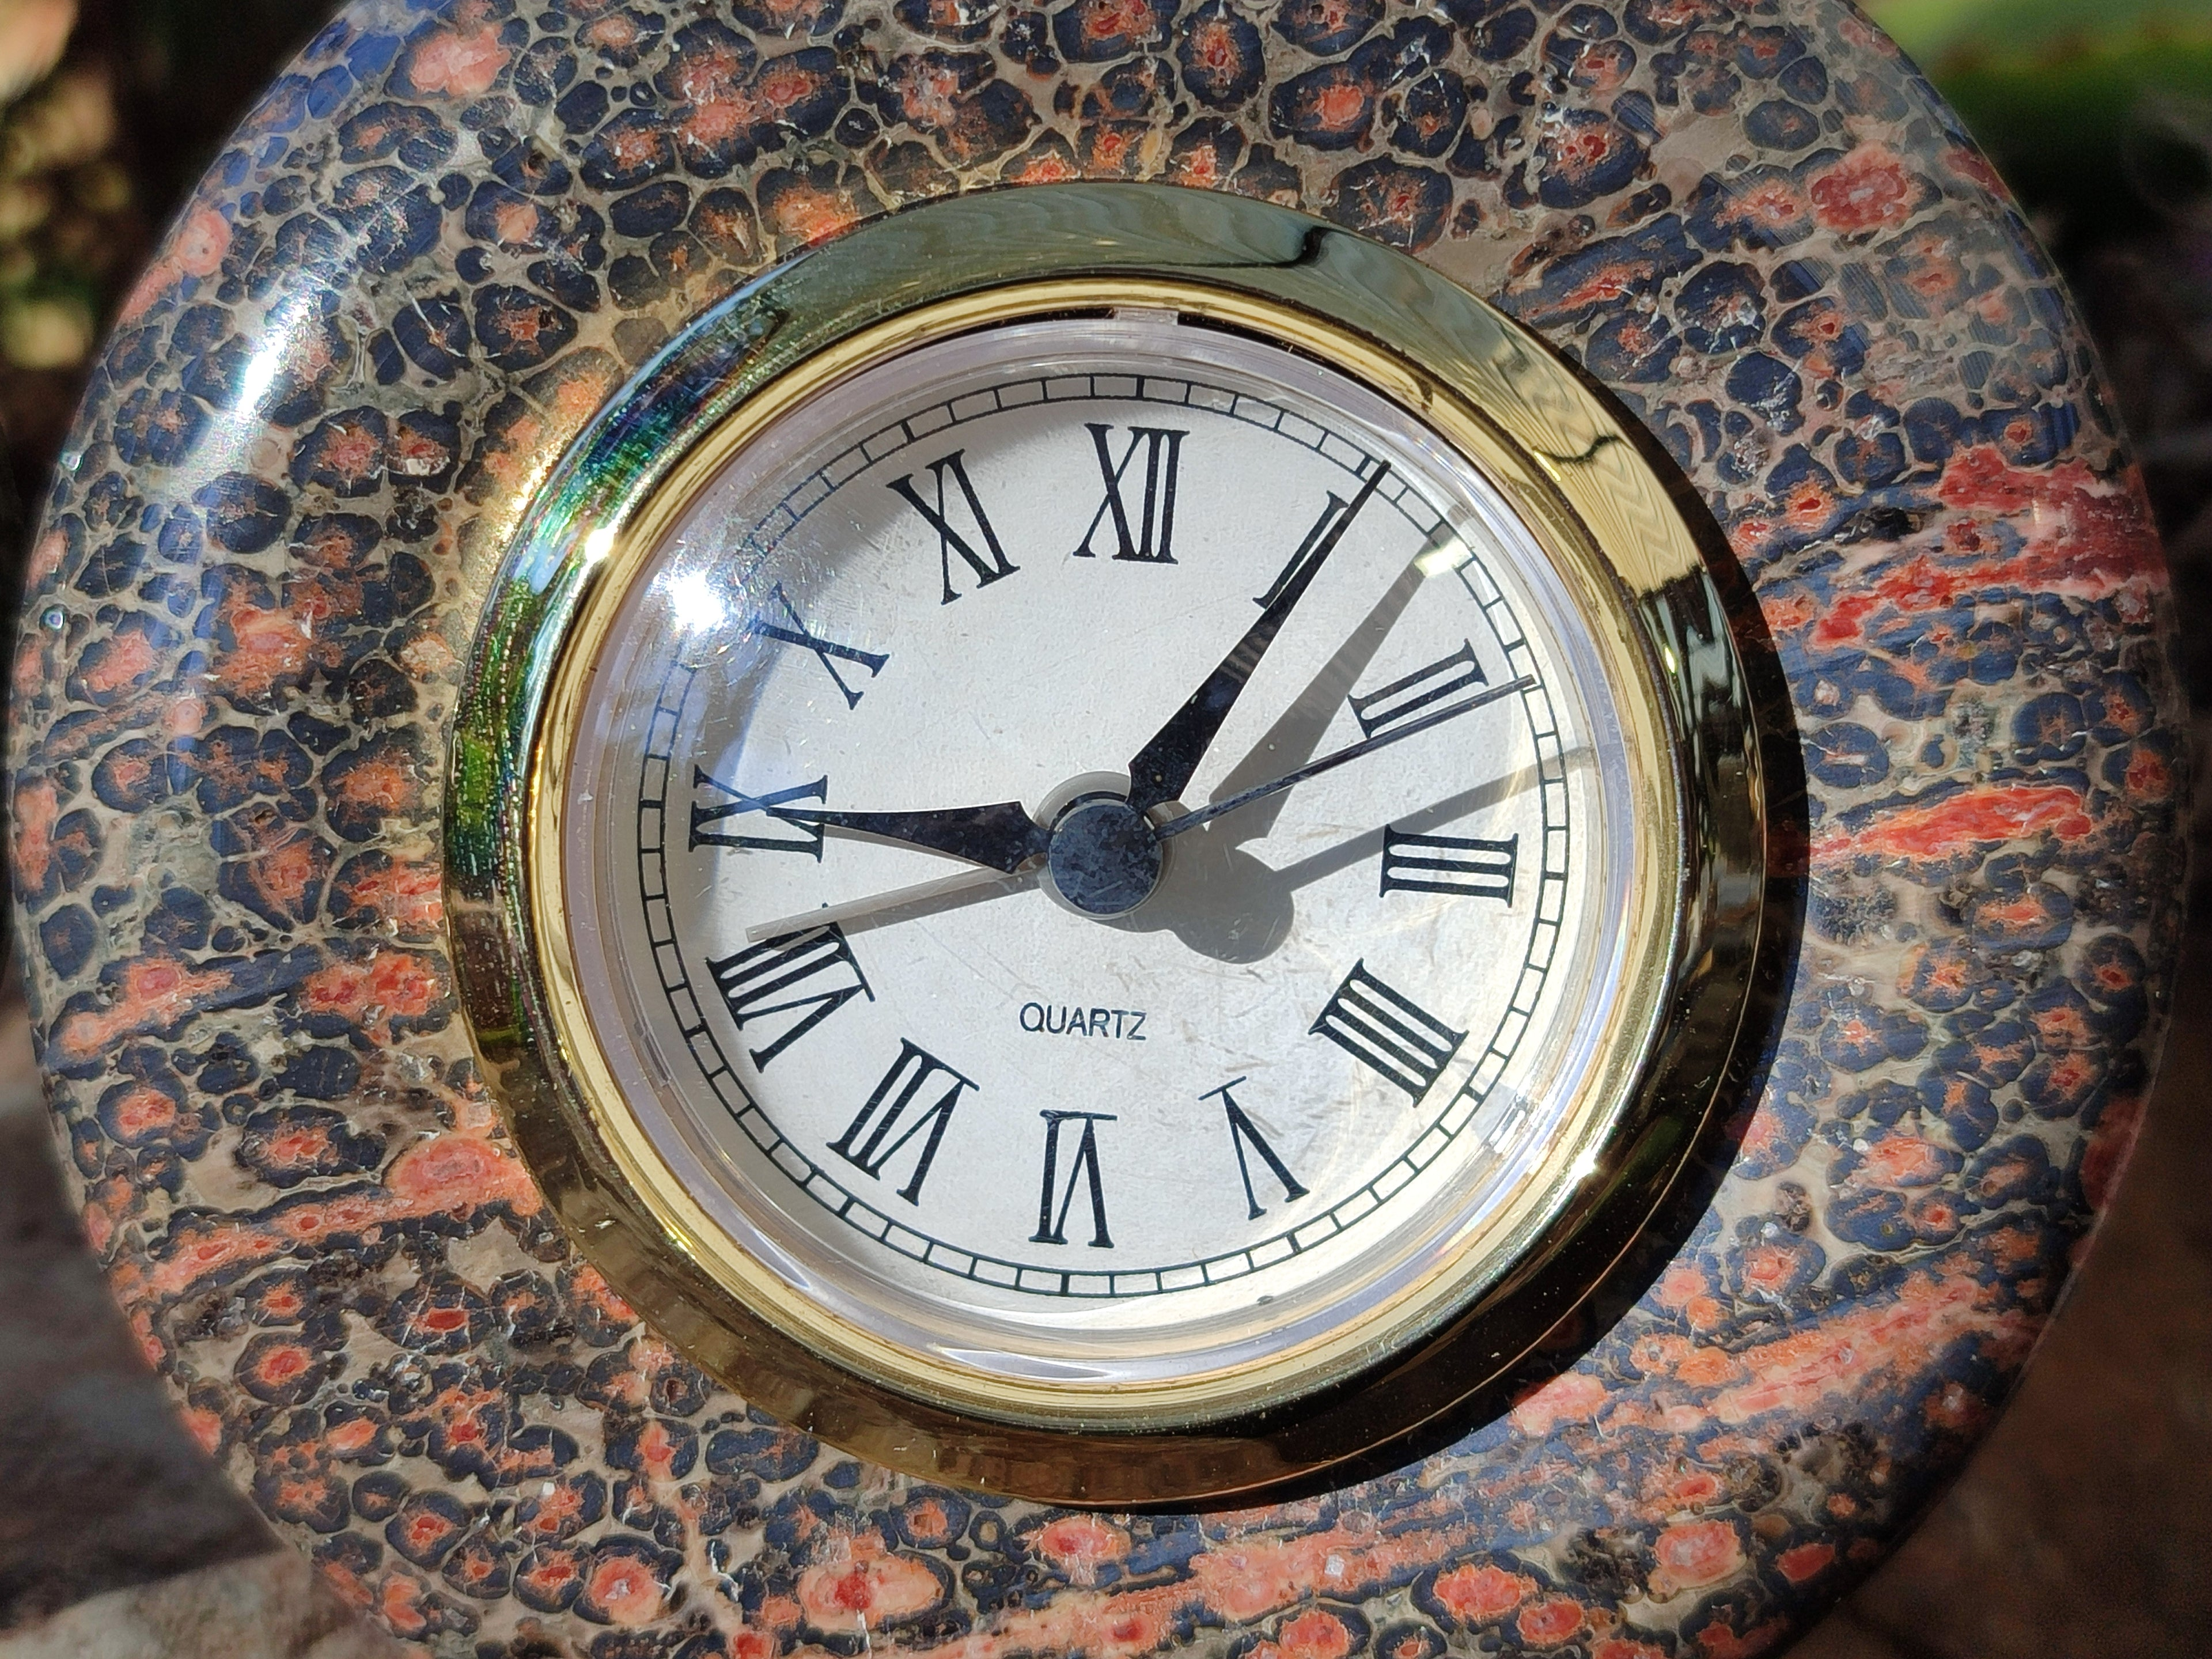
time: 9:05
